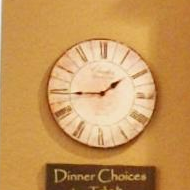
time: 1:44
